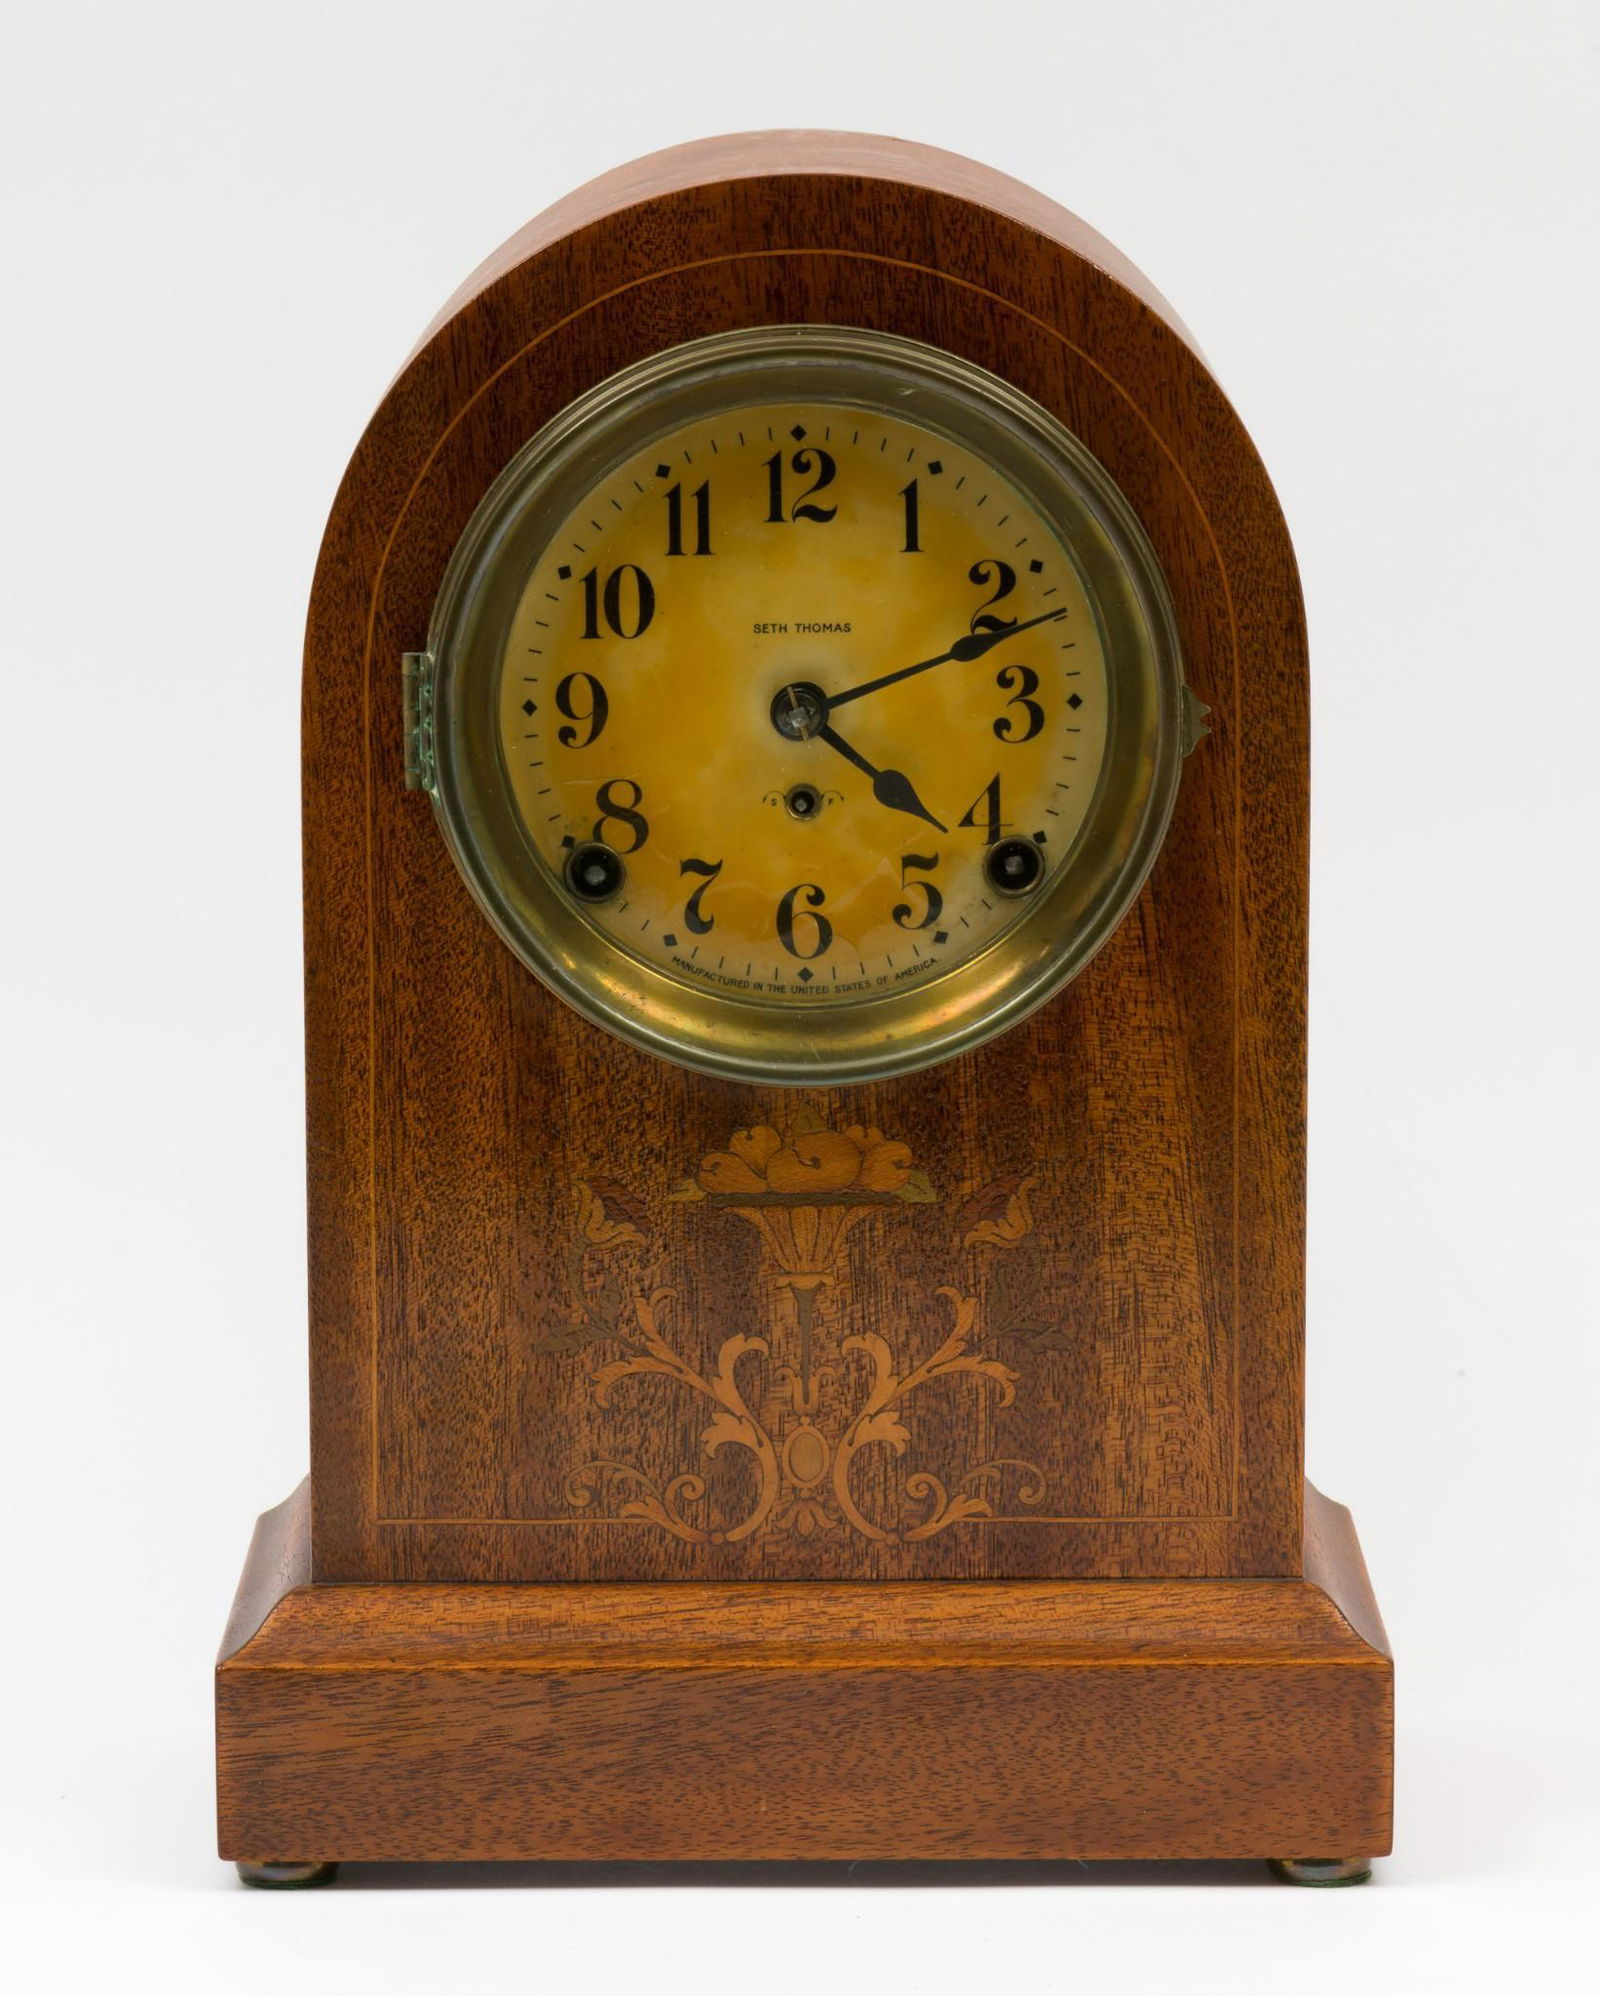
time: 4:11
